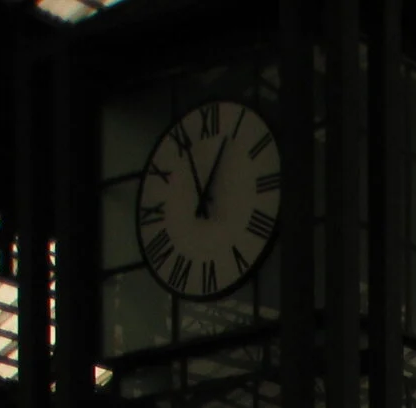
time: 12:56
